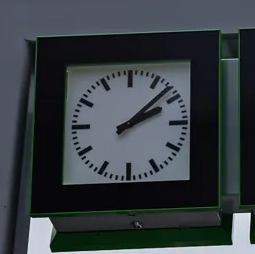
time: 2:07
